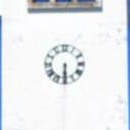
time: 6:29
